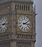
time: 2:16
